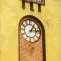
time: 1:13
